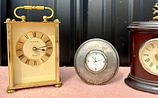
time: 3:12
